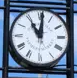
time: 11:00
